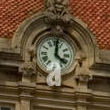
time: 4:01
